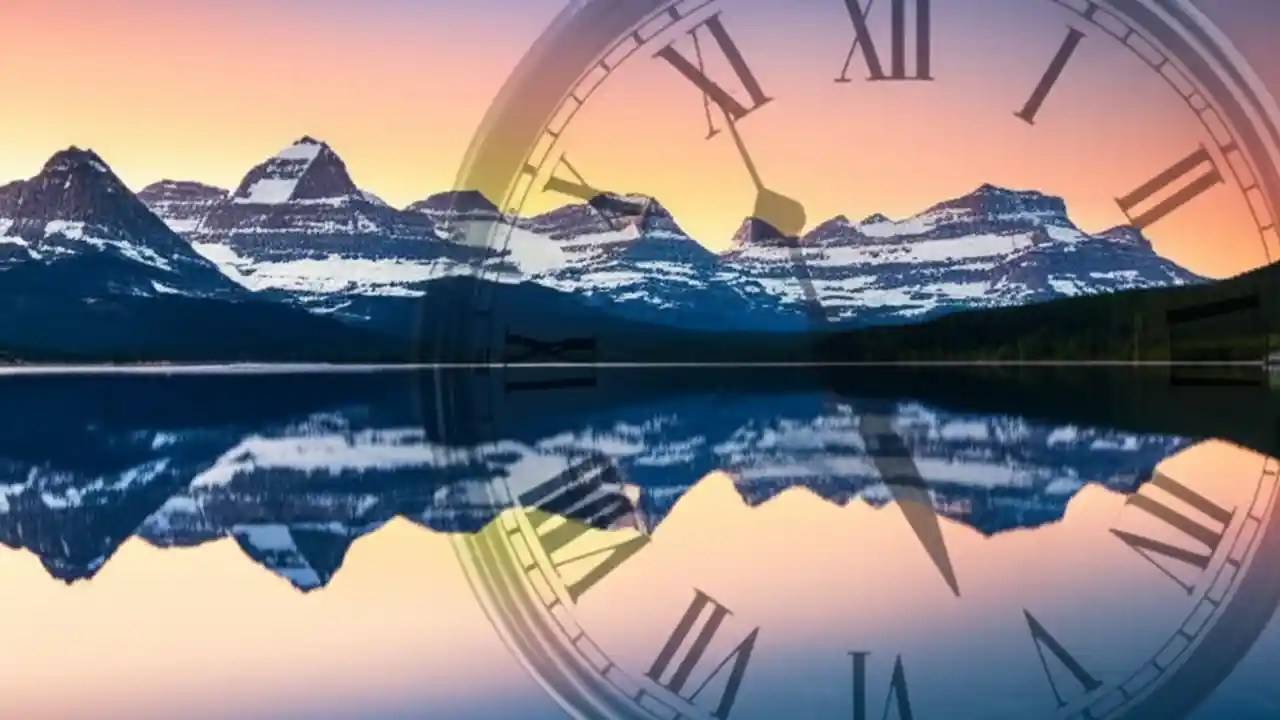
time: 2:26
